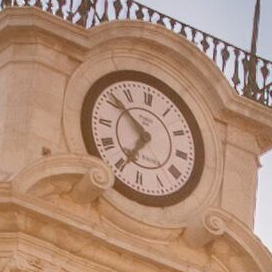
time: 6:51
